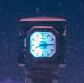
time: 8:14
